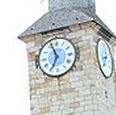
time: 6:56
